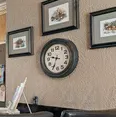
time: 9:34
